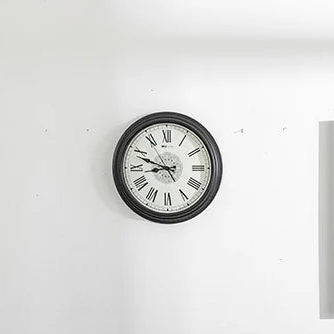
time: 8:48
